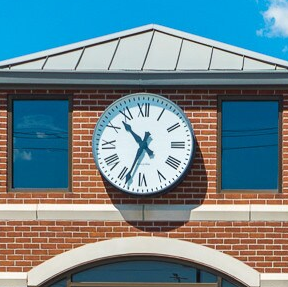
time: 10:34
